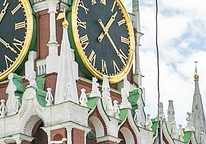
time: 1:21
